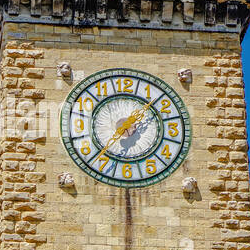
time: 1:37
